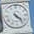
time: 4:23
